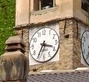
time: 3:35
